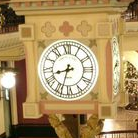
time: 8:33
